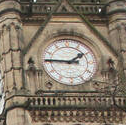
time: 1:46
